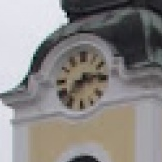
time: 2:37
